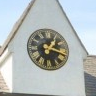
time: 1:18
